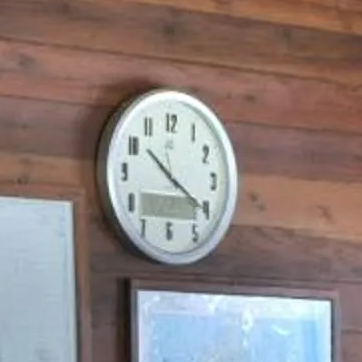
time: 10:20
